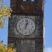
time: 1:02
